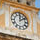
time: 12:09
